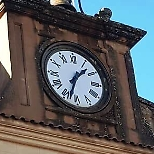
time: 1:33
